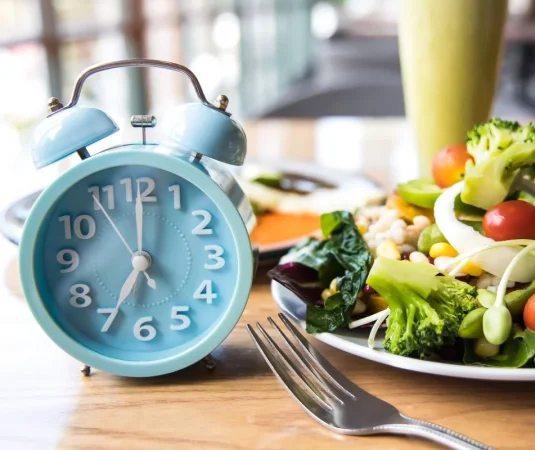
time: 7:00
